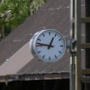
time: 12:46
